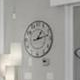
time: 1:12
